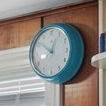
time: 12:51
